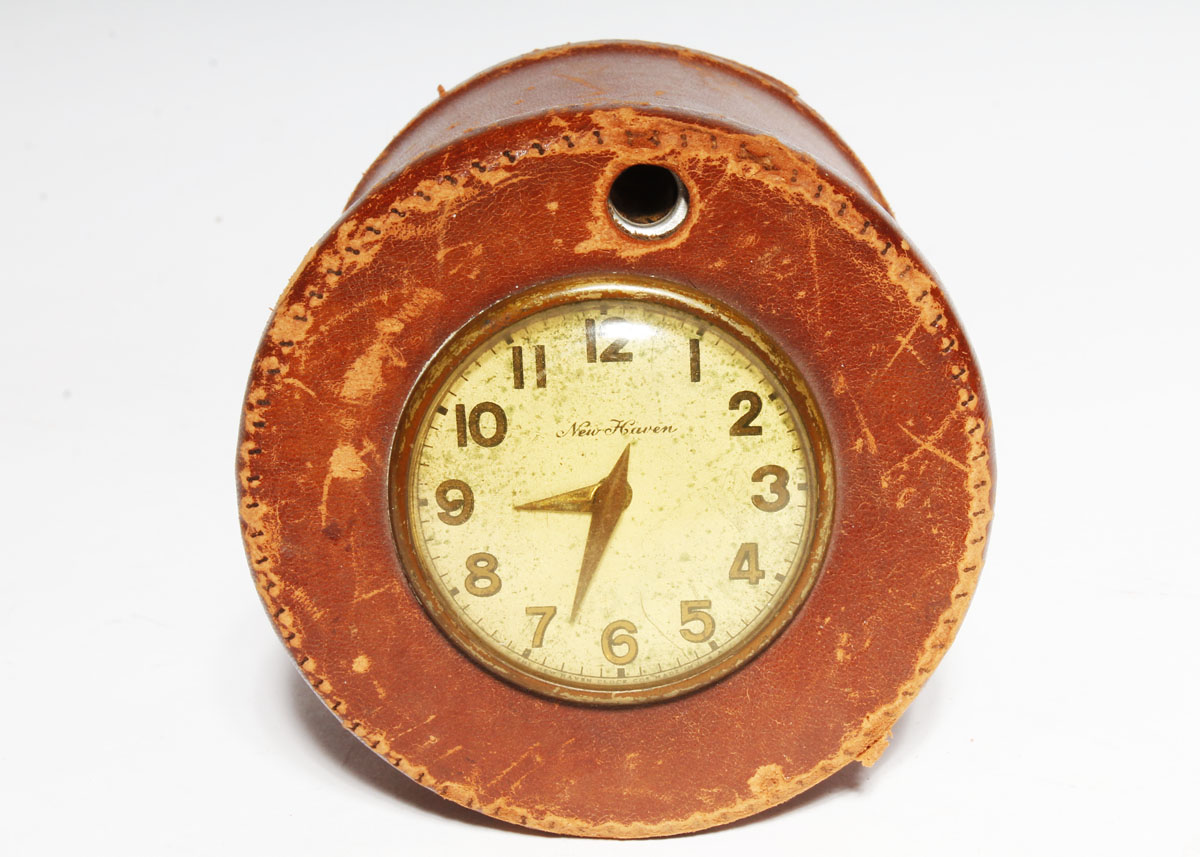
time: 8:33
